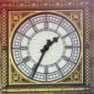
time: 1:34
